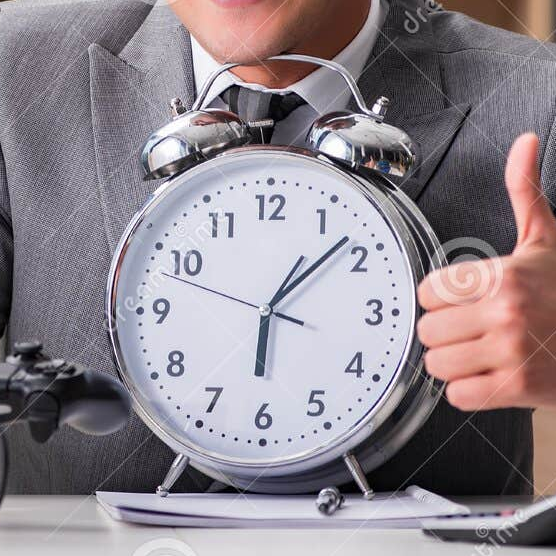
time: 6:07
